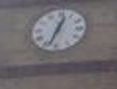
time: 12:33
